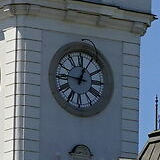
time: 12:46
